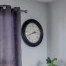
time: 2:40
